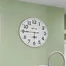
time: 5:45
